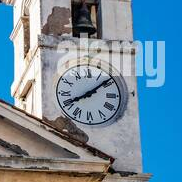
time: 8:08
